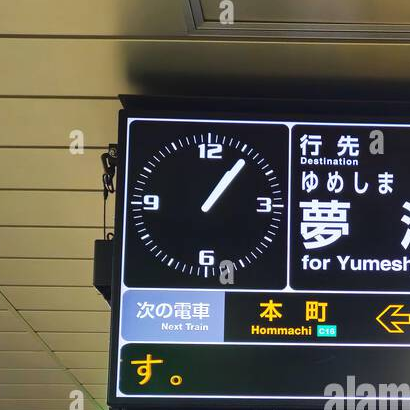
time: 1:06
